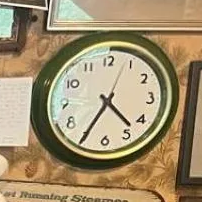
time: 4:35
